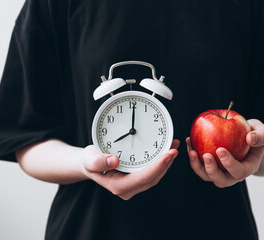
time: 8:00
